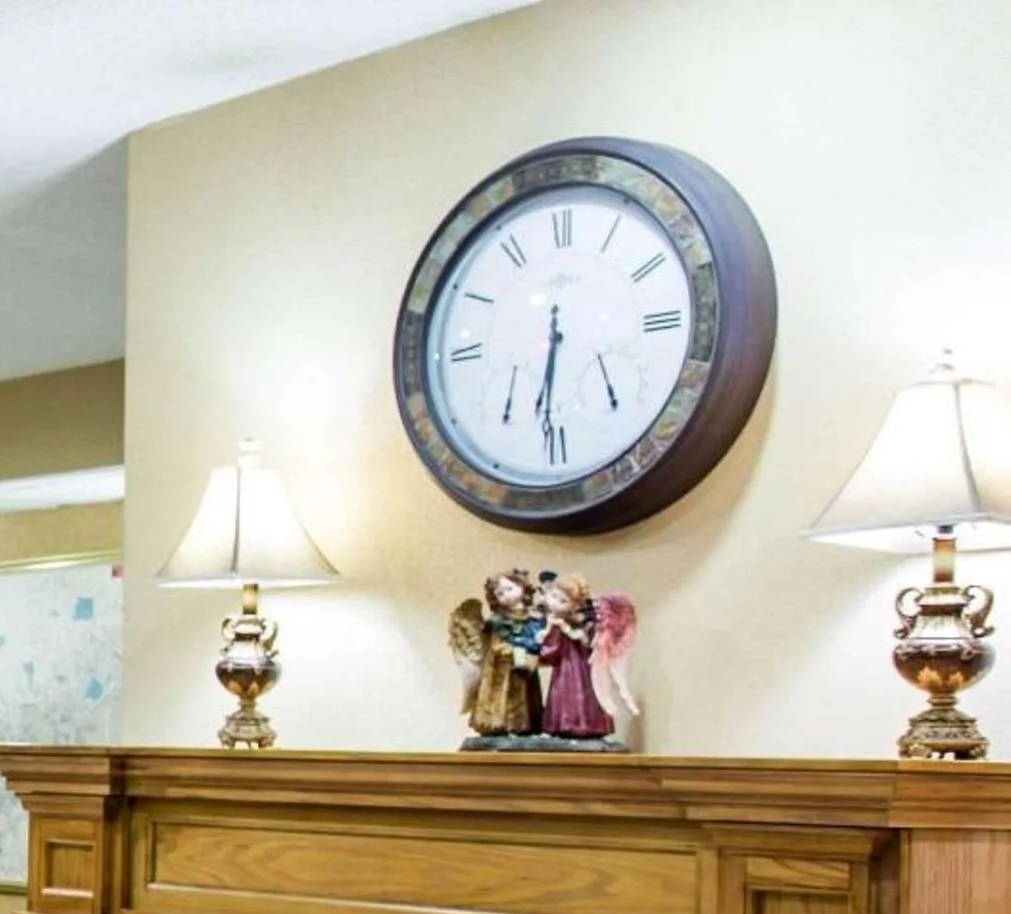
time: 6:31
